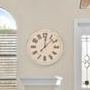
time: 12:07
